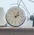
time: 2:04
